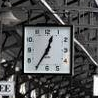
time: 12:35
